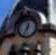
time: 12:34
